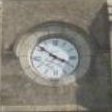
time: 3:51
